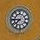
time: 7:45
